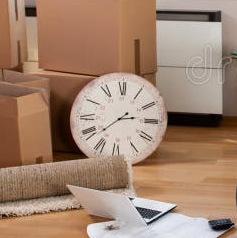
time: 2:38
